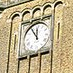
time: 11:54
